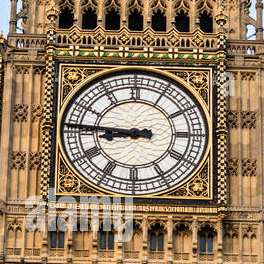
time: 8:45
